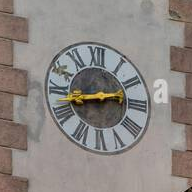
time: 2:42
